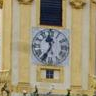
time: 11:35
